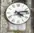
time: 4:12
